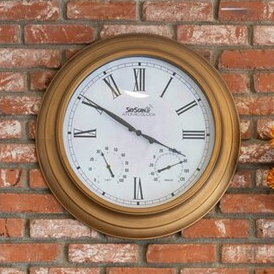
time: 3:50
